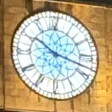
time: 10:17
